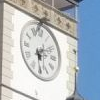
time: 6:10
